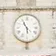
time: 5:54
